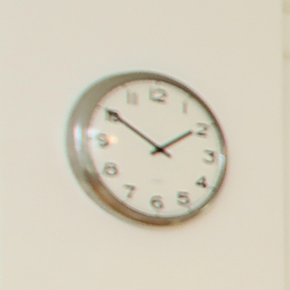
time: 1:50
